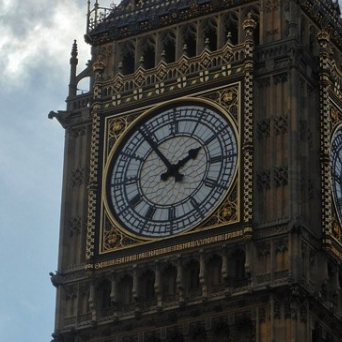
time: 1:54
